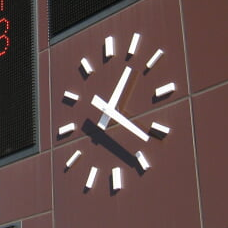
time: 1:21
